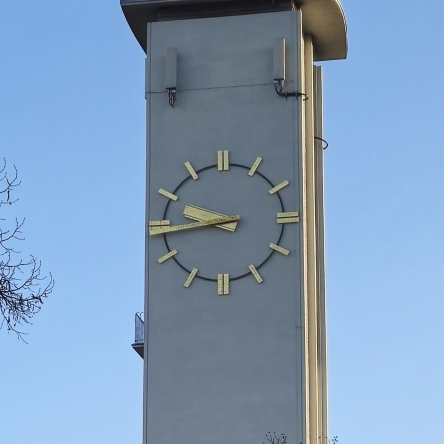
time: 9:43
